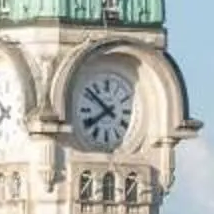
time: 7:51
